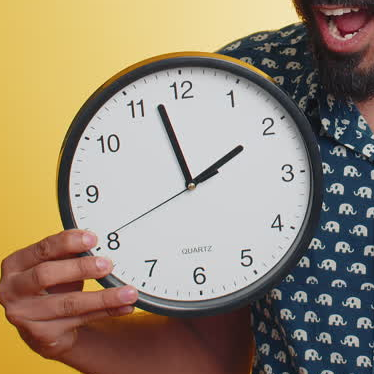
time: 1:57
